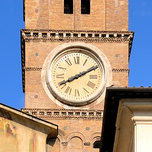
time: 8:10
